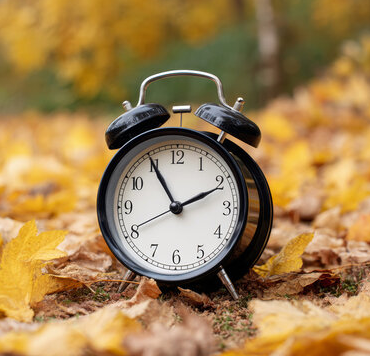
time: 1:55
